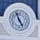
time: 4:57
